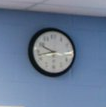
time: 9:42
